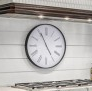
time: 4:55
